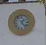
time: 1:23
